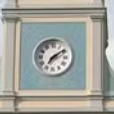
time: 7:09
